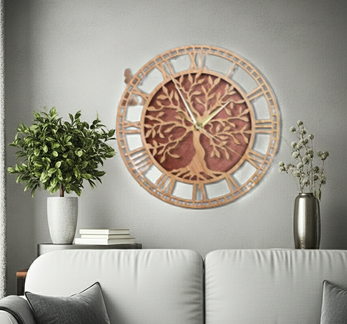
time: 1:56
